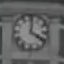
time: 4:00
